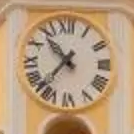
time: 10:36
